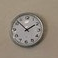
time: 1:52
